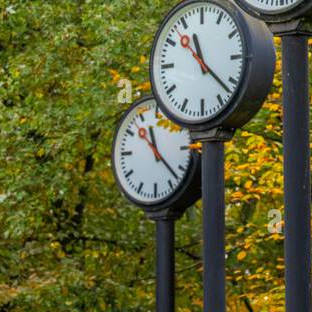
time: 11:22
